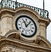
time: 11:06
